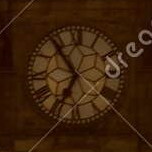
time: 6:54
